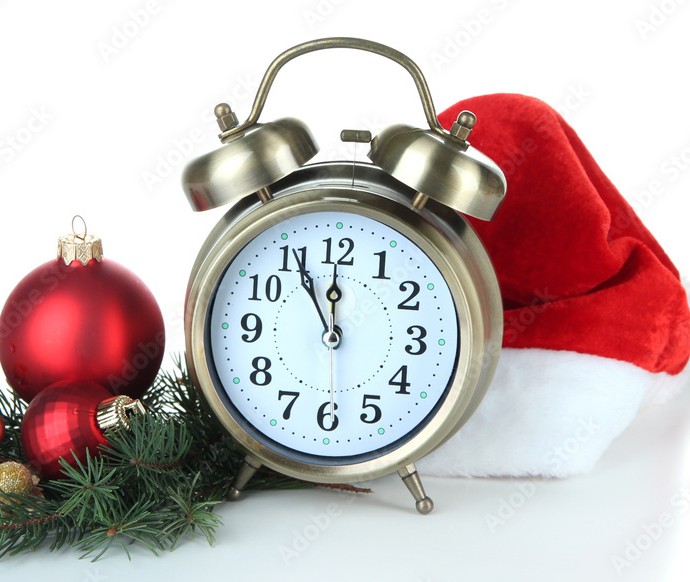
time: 11:55
